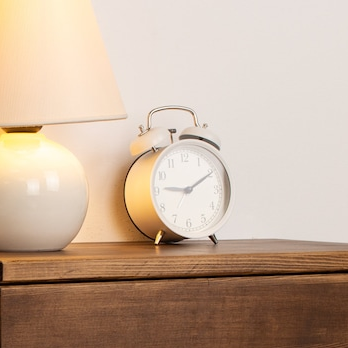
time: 9:10
